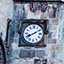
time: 8:09
